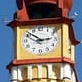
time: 2:52
